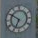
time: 6:50
